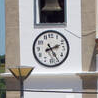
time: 2:24
